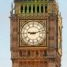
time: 9:12
